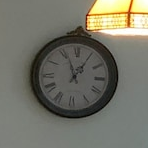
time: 12:56
